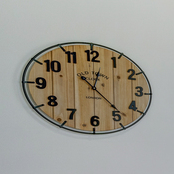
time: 12:23
